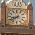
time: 8:38
